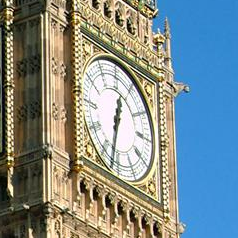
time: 12:32
